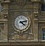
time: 4:12
